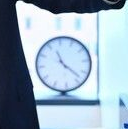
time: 11:22
